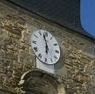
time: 5:57
